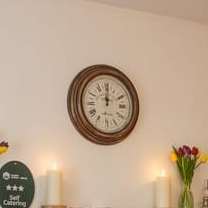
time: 12:00
